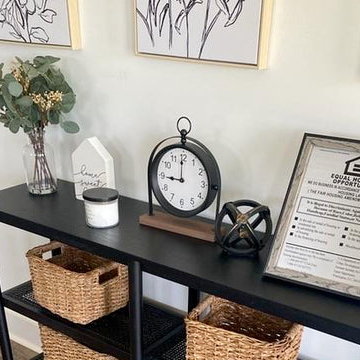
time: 8:59
